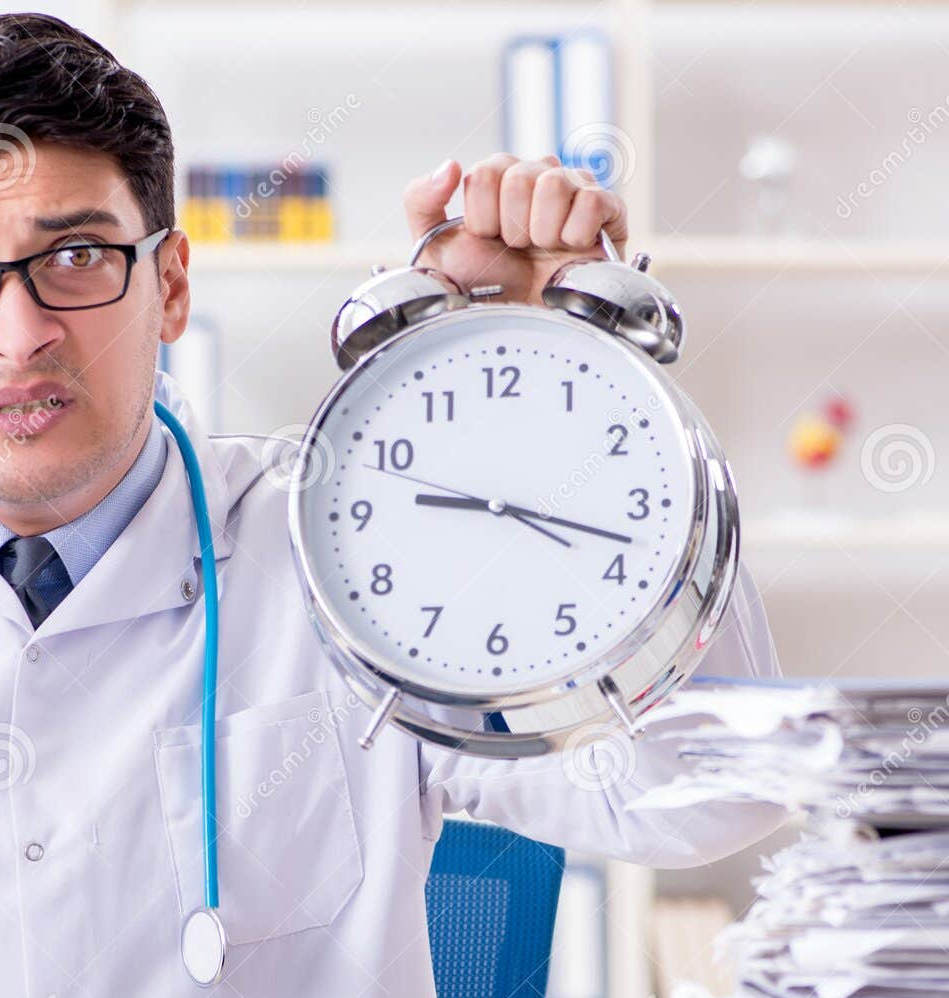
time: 9:17
